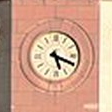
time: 5:18
